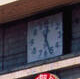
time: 12:26
